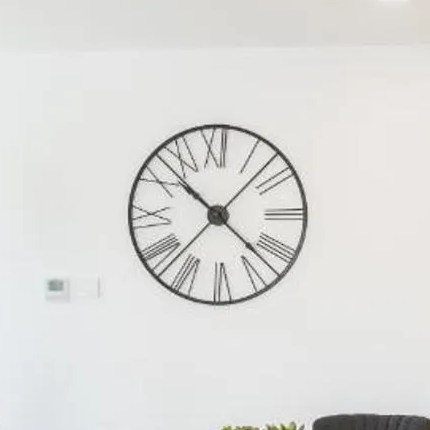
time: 10:22
